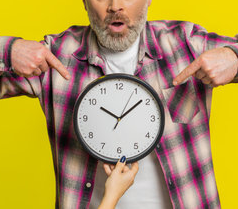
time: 10:08
